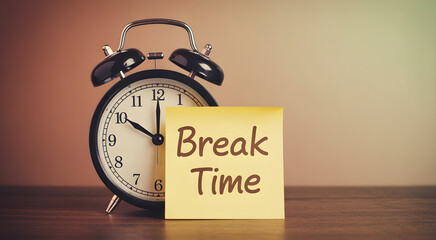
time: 10:00
